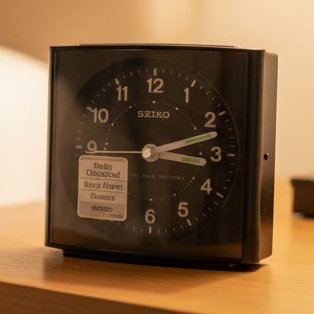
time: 3:12
